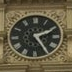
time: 2:24
